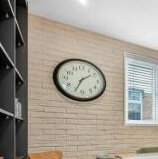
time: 1:34
